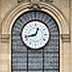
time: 12:42
